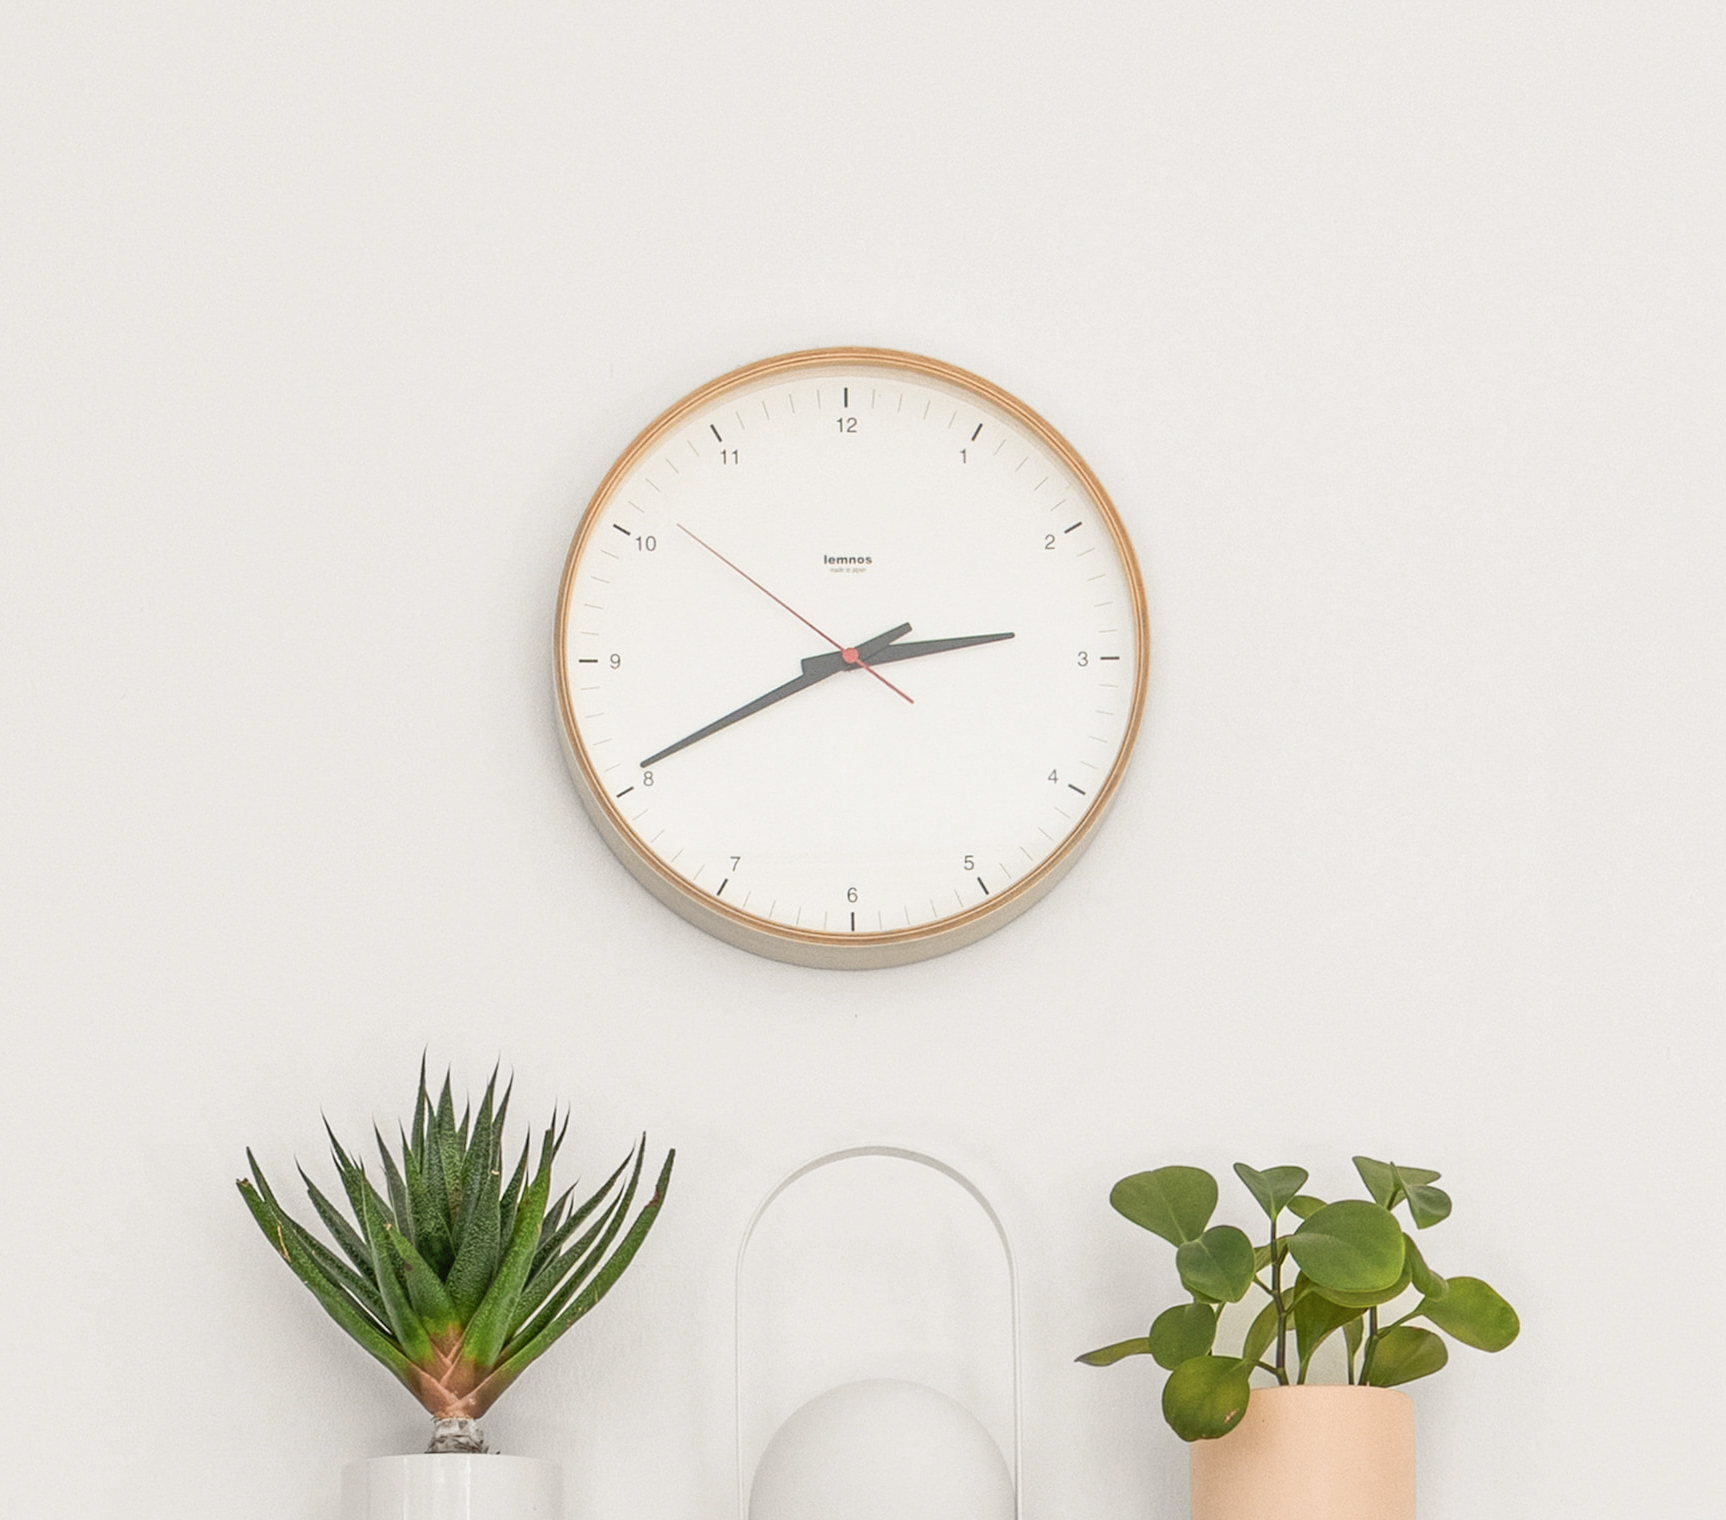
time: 2:40
